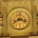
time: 8:17
